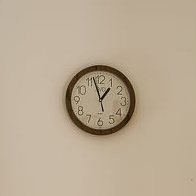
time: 12:57
